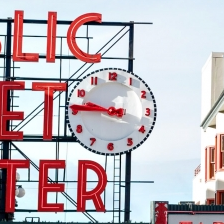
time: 9:45
